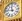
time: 11:46
